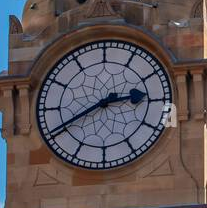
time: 2:40
